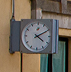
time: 4:10
